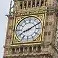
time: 8:09
